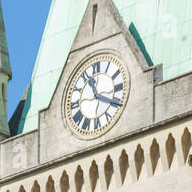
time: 11:19
